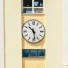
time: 10:28
